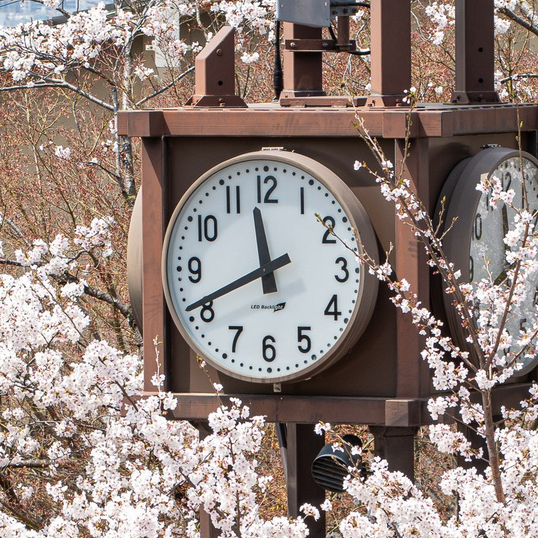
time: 11:40
